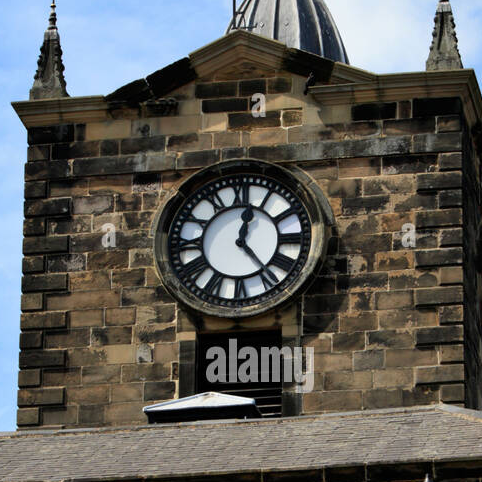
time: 12:23
